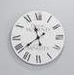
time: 11:38
